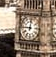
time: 9:01
